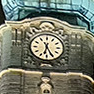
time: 6:25
